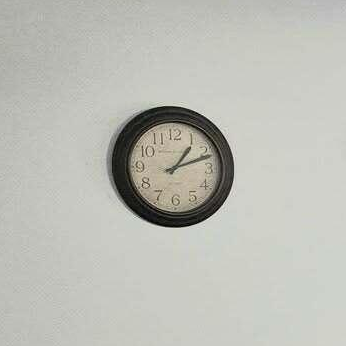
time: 1:11
